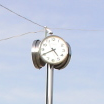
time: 4:40
